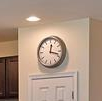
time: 12:17
